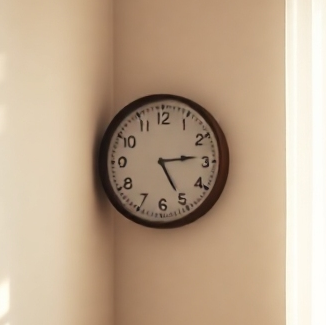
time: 5:13
